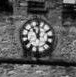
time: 11:01
